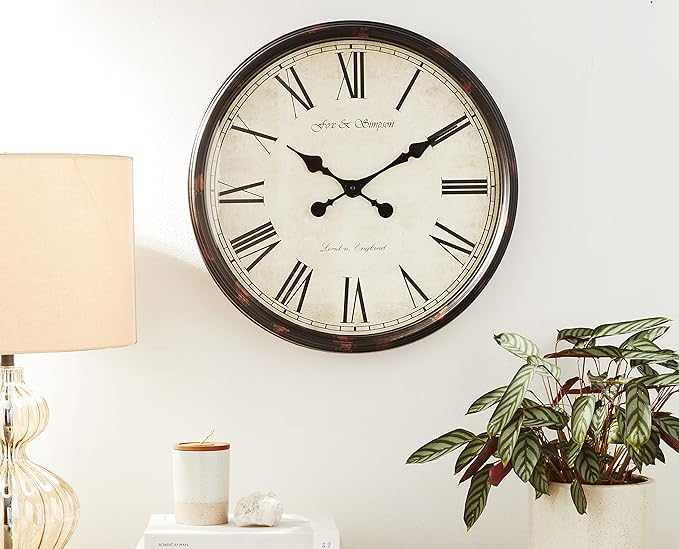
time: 10:09
